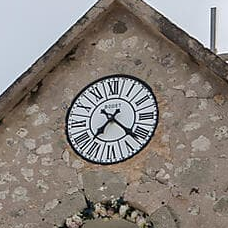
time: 7:21
